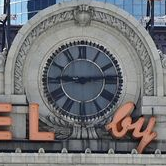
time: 9:13
